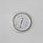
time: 12:32
